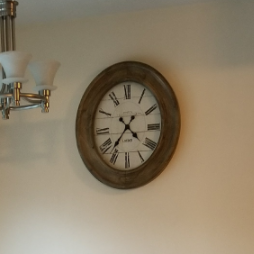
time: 4:36
